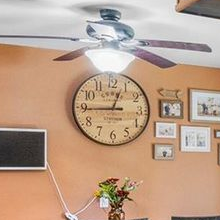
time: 12:44
